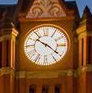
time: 10:21
